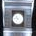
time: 4:35
